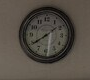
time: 1:39
